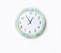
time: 12:54
